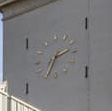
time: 2:34
